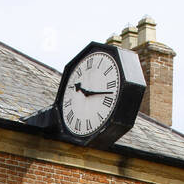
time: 10:17
